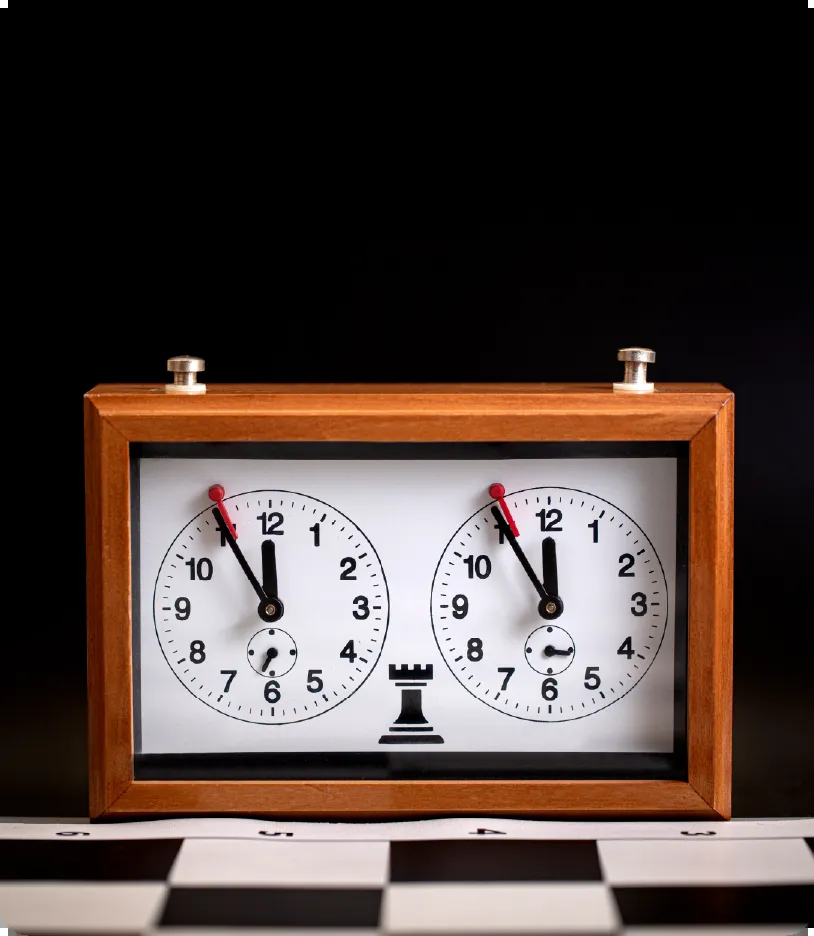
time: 11:54
